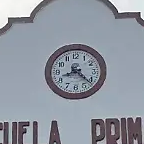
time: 8:21
